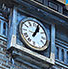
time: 1:03
